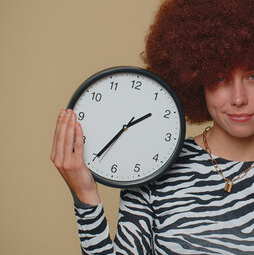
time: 1:35
